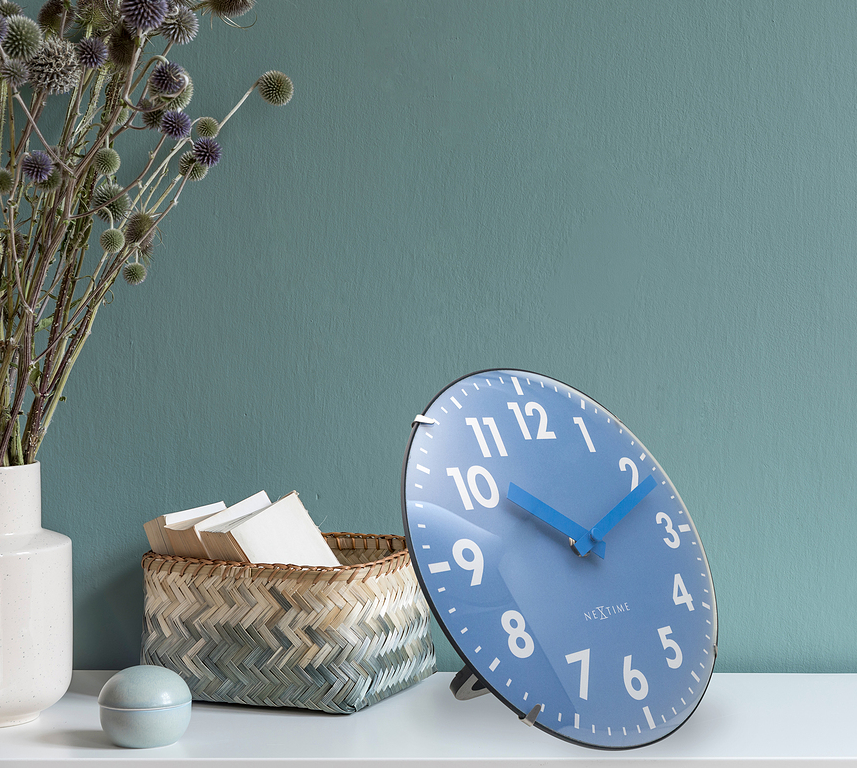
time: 10:11
